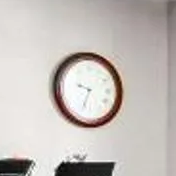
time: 9:34
